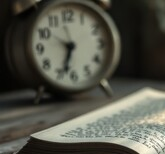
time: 6:33
